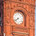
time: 7:38
